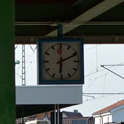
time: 6:10
